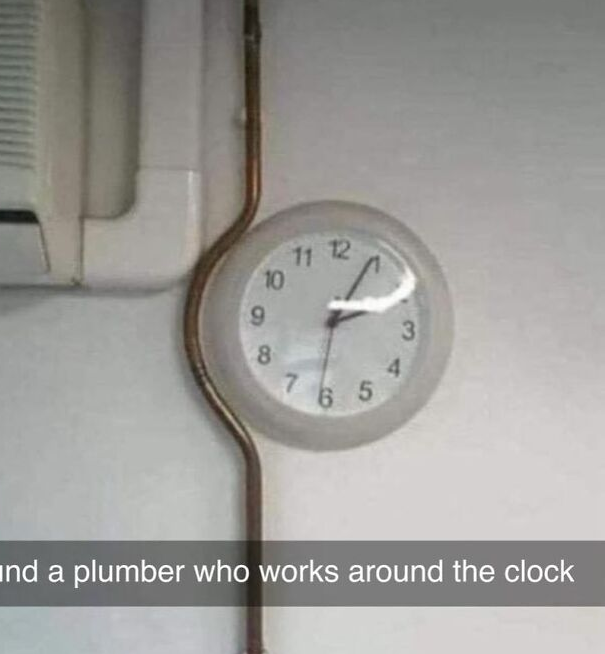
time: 2:04
